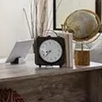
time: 8:38
